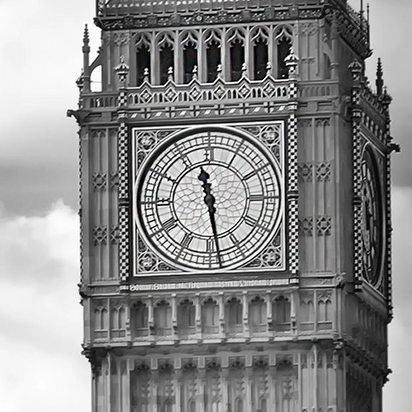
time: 11:28
